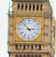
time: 2:52
